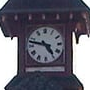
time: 4:47
